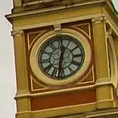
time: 12:32
